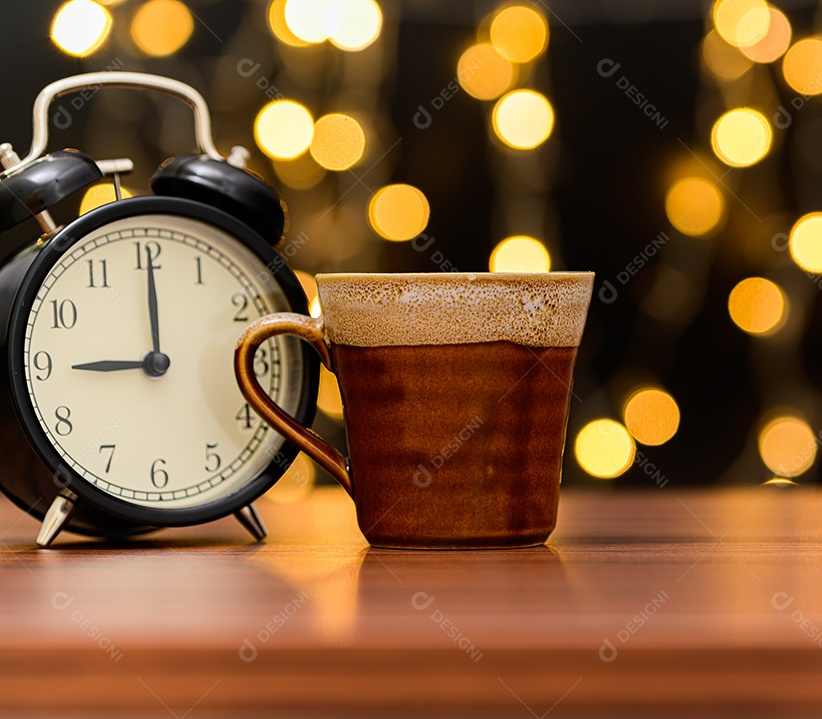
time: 9:00
